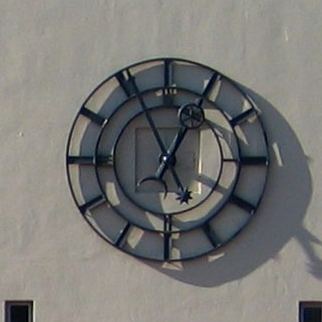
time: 12:55
